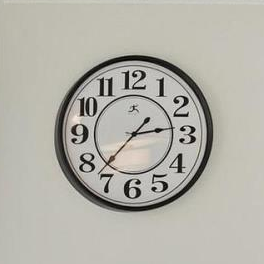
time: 2:37
